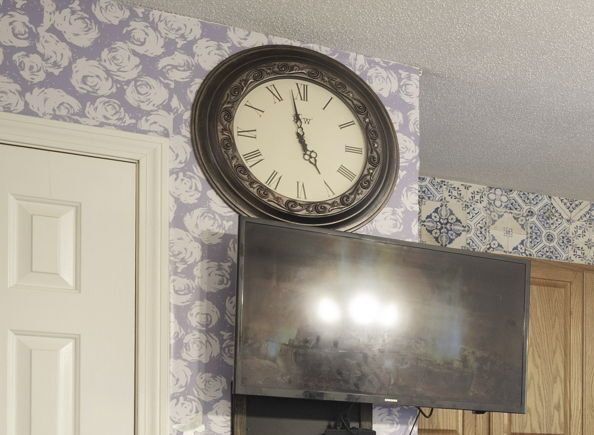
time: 4:58
